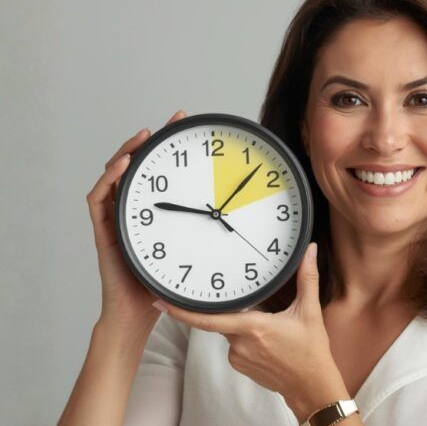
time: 9:07
